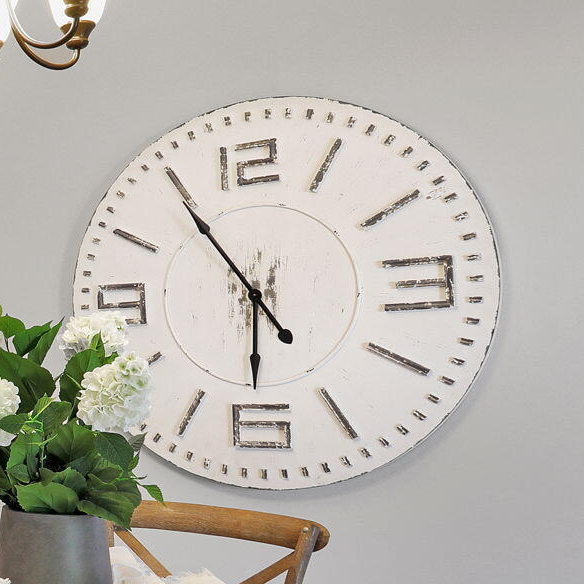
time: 5:54
